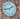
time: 1:43
